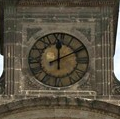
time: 12:10
